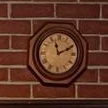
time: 11:10
